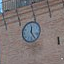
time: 12:24
